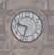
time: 9:32
